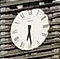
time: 6:29
